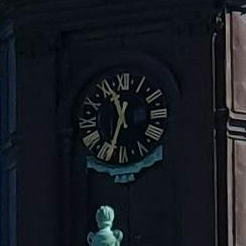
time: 11:33
